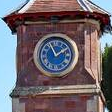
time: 1:56
